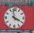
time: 3:58
